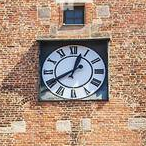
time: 12:40
